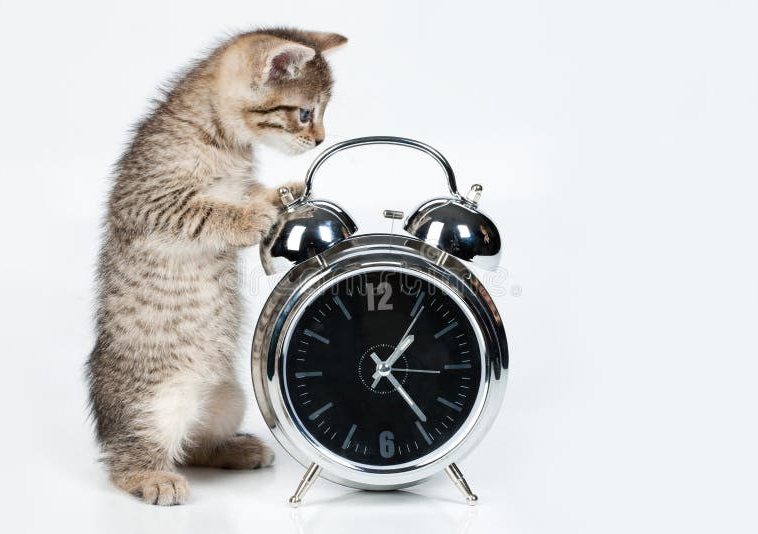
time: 1:23
